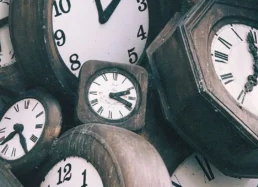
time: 2:18
